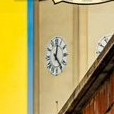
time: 12:23
